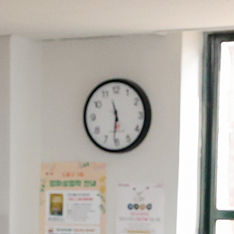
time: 11:31
